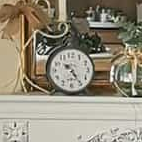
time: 10:24
